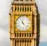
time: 11:22
